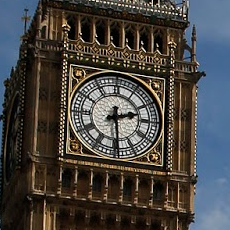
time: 2:29
